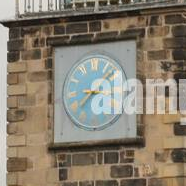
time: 8:37
